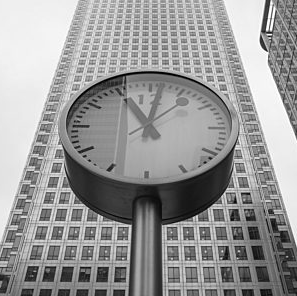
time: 11:01
